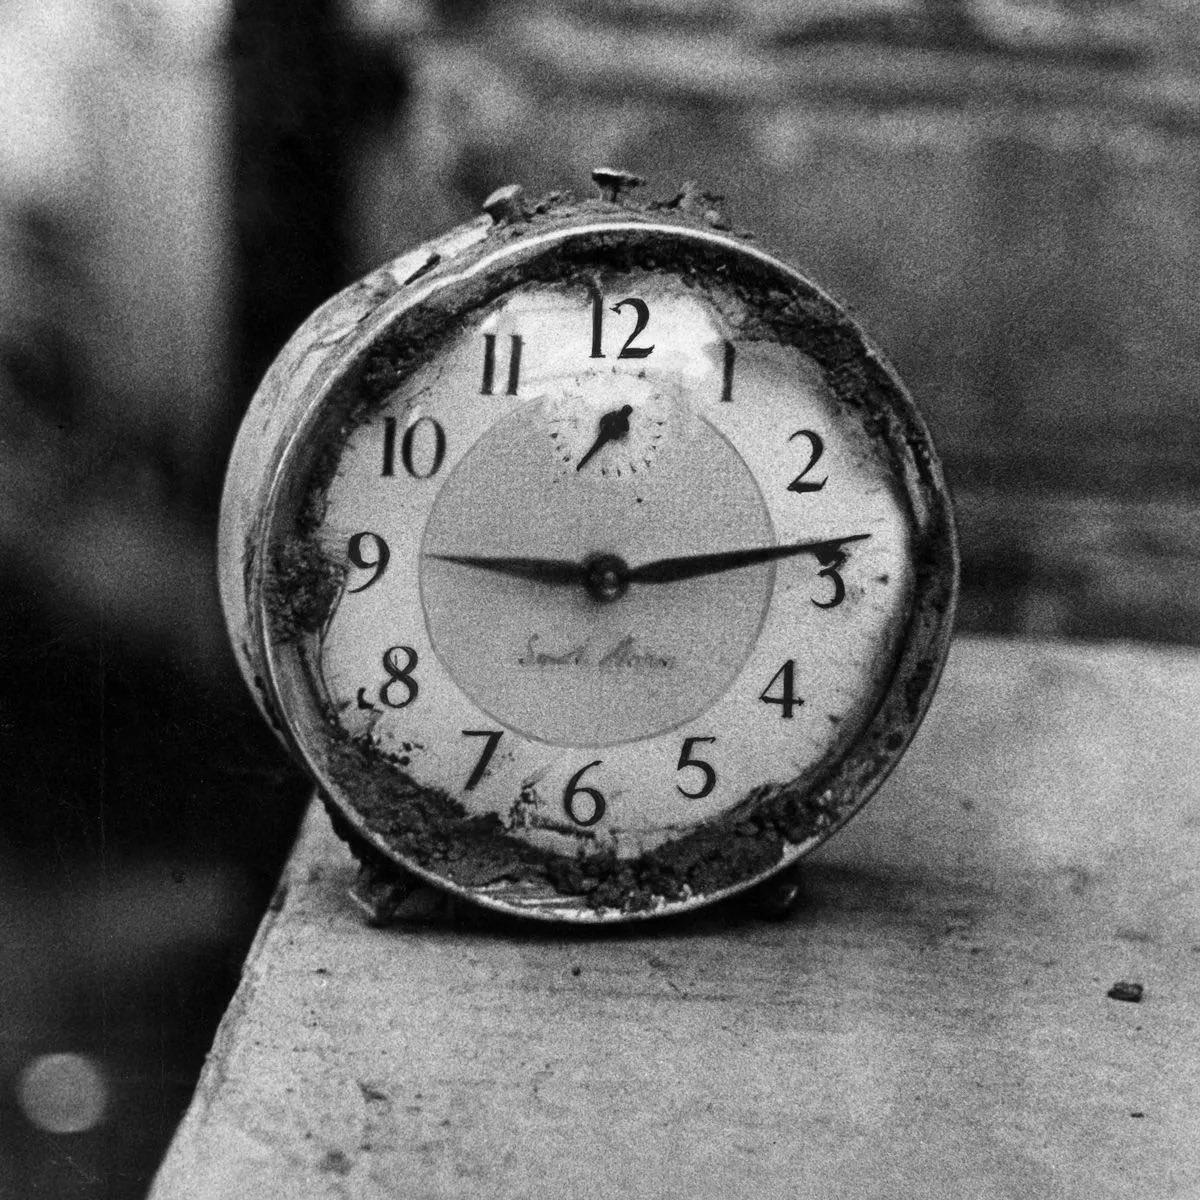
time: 9:13
